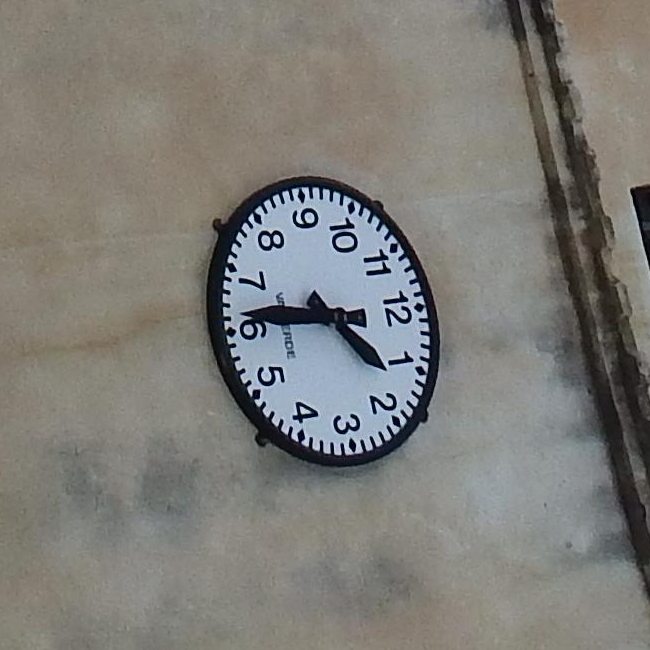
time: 4:46
